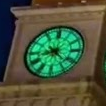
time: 8:22
